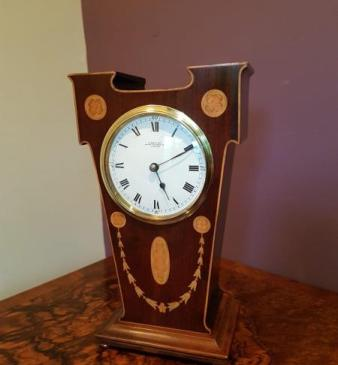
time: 5:10
